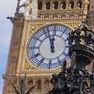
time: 11:56
